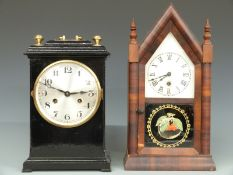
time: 2:48
